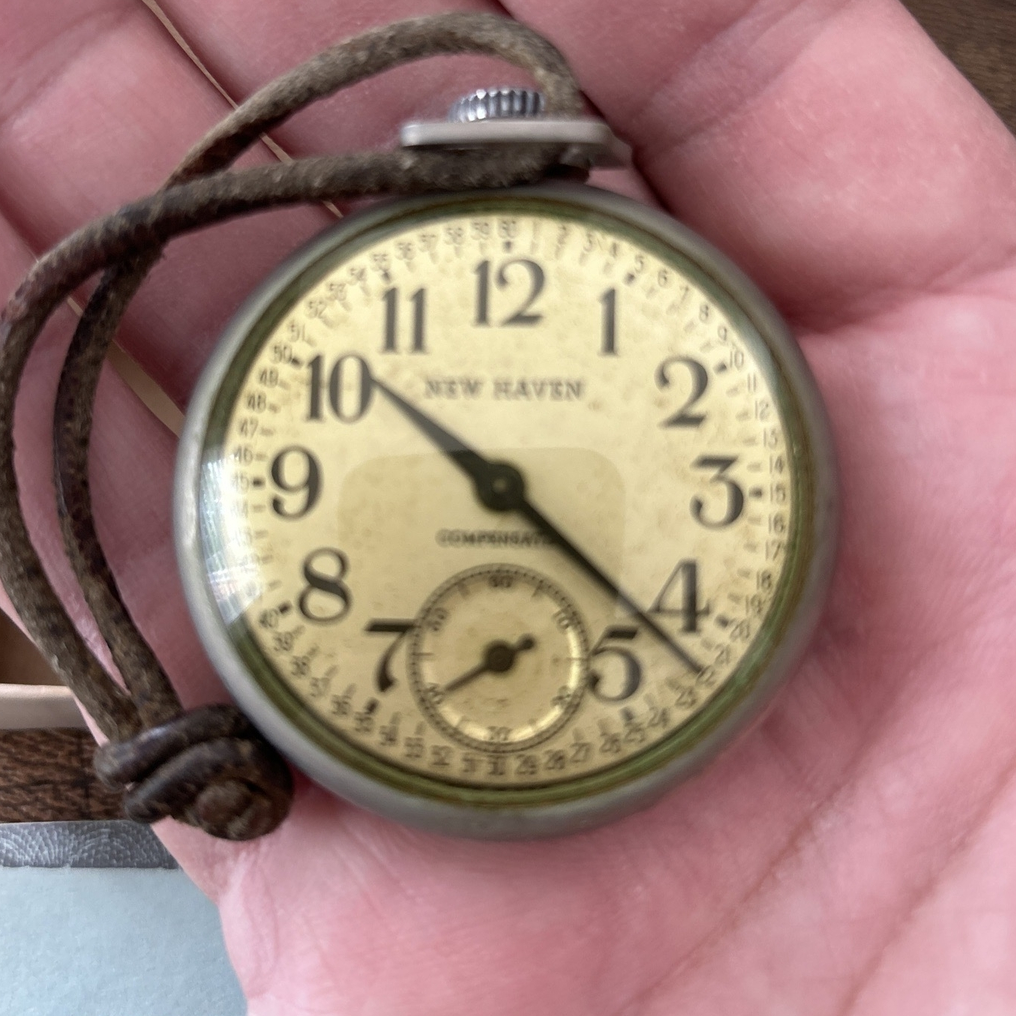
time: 10:22
